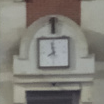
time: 7:58
